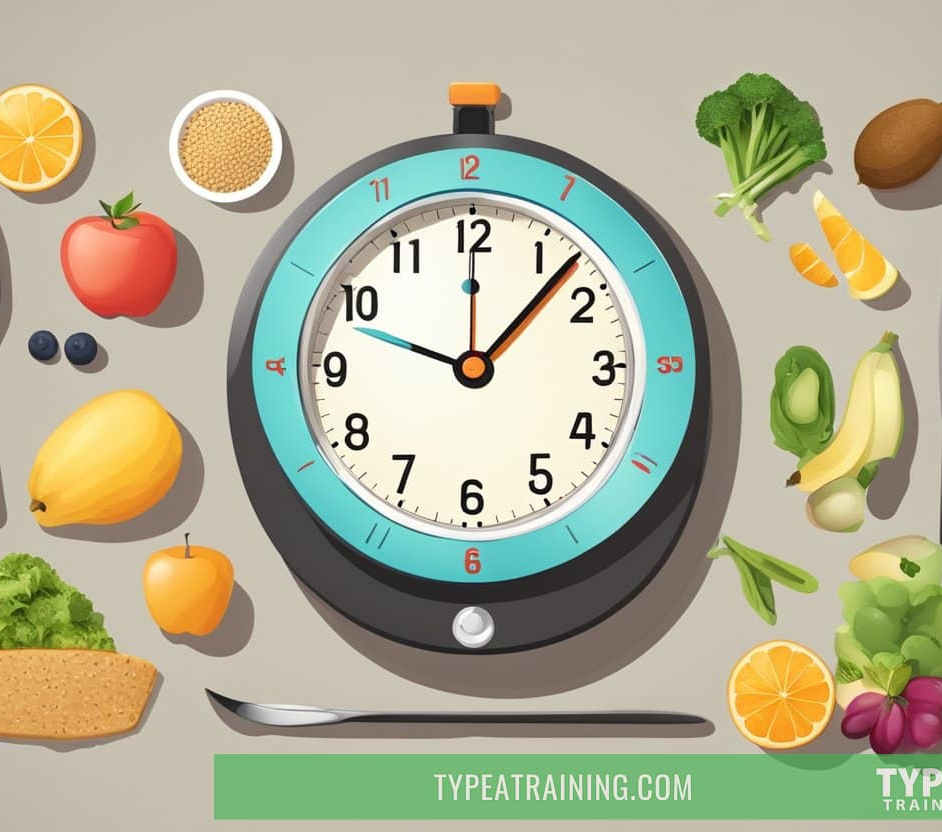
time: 12:07
